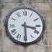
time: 3:29
